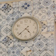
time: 4:37
